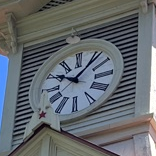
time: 10:07
